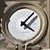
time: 4:07
